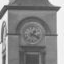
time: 1:18
